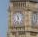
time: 11:32
